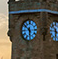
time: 5:51
